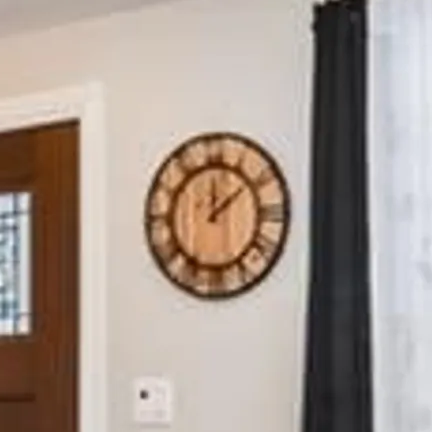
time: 12:08
